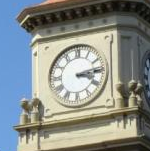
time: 3:13
